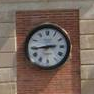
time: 2:44
